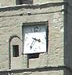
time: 3:35
